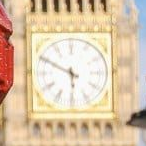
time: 5:49
